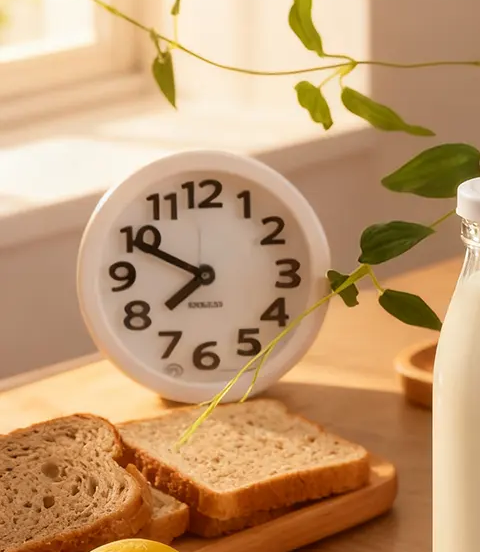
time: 7:49
